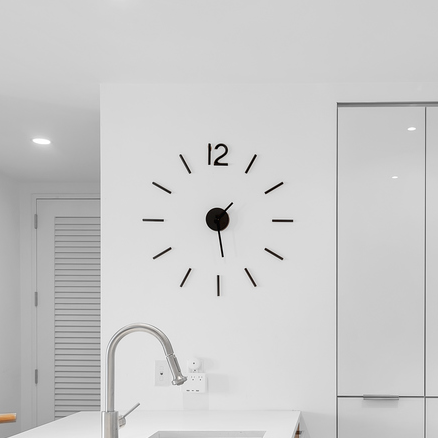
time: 1:28
